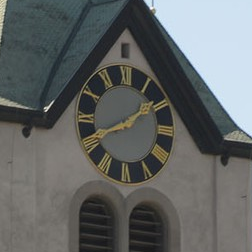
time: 1:41
